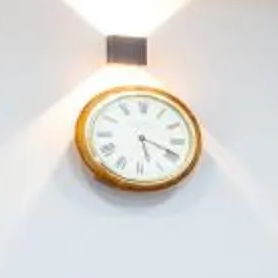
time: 5:18
